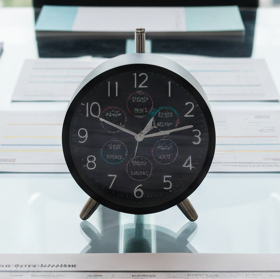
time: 1:13
